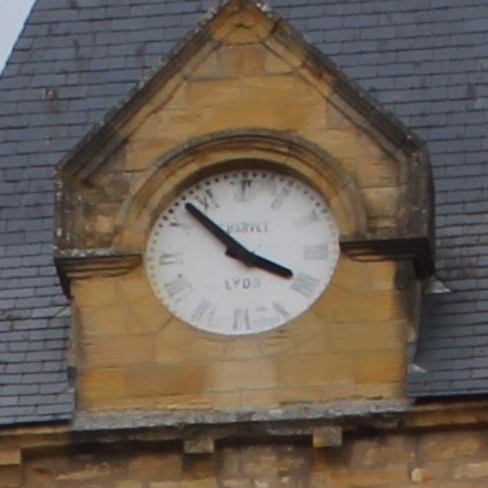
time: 3:52
